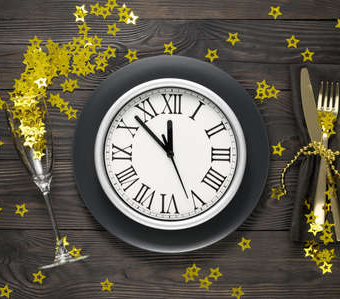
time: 11:52
